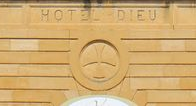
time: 8:16
